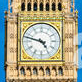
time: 4:47
